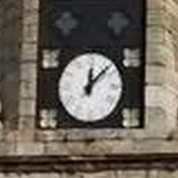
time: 12:07
